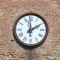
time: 1:59
